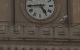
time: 4:44
